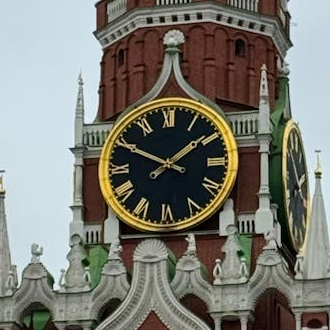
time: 1:49
